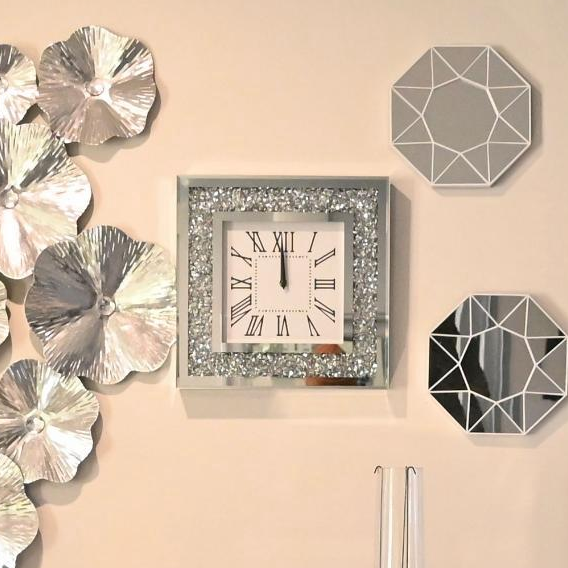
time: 11:59
